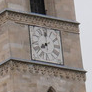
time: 7:59
